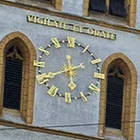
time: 5:40
